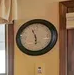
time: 5:56
